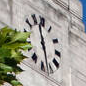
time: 11:28
